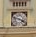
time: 3:47
